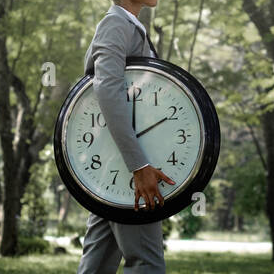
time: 2:00
